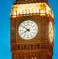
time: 7:51
